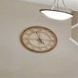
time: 4:57
